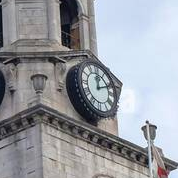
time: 12:11
